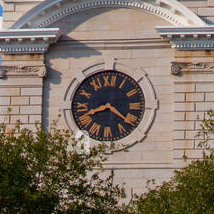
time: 8:21
